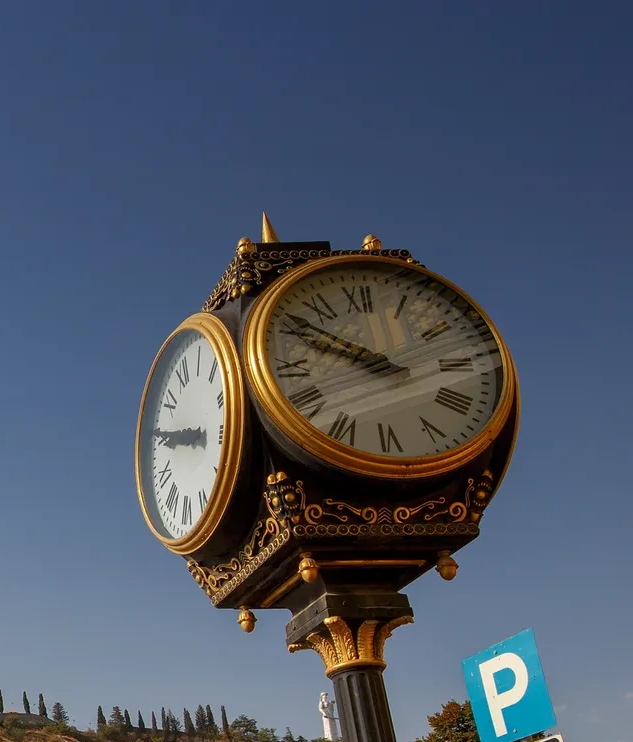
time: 9:50
